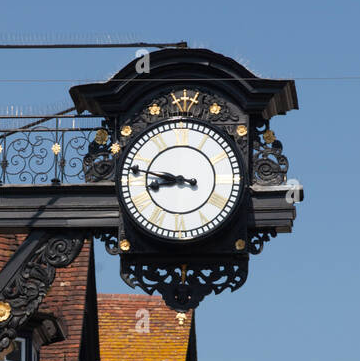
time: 8:47
